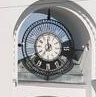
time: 11:36
